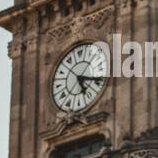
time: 5:18
